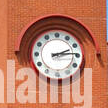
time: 2:14
